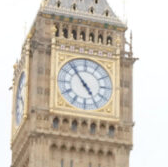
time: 4:53
